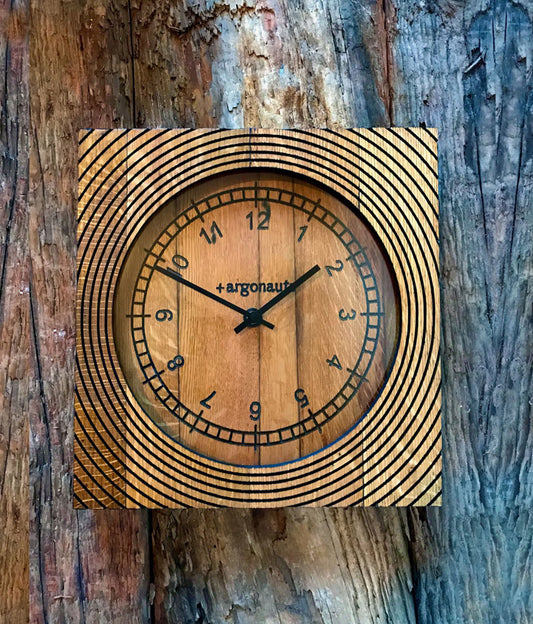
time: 1:49
